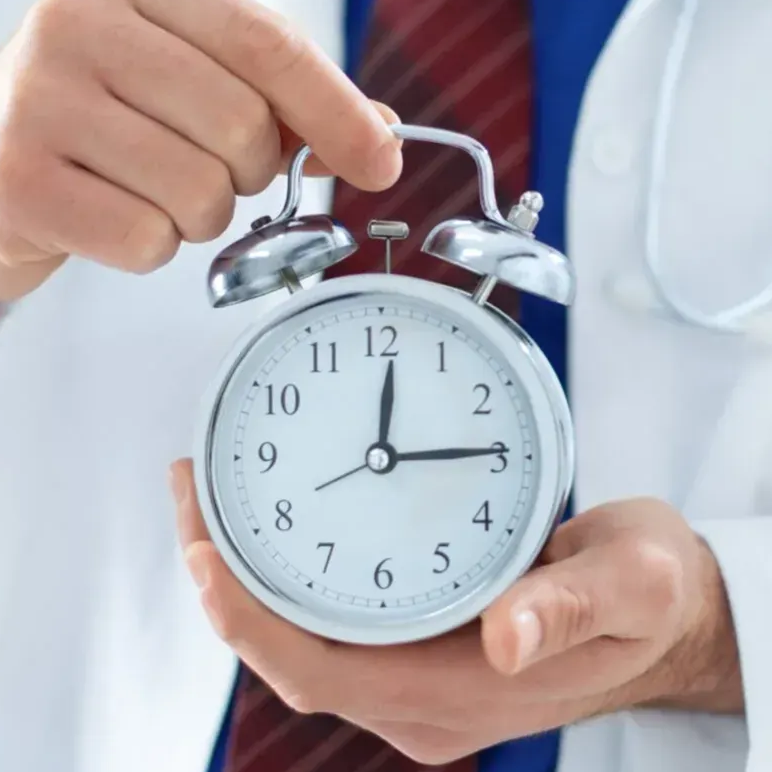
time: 12:14
